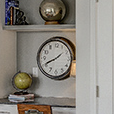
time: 1:40
